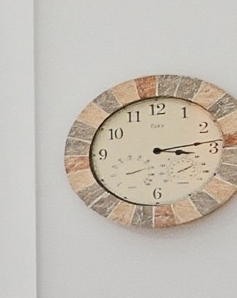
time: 3:13
